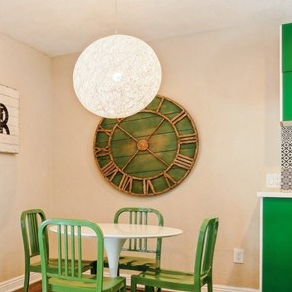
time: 1:37
